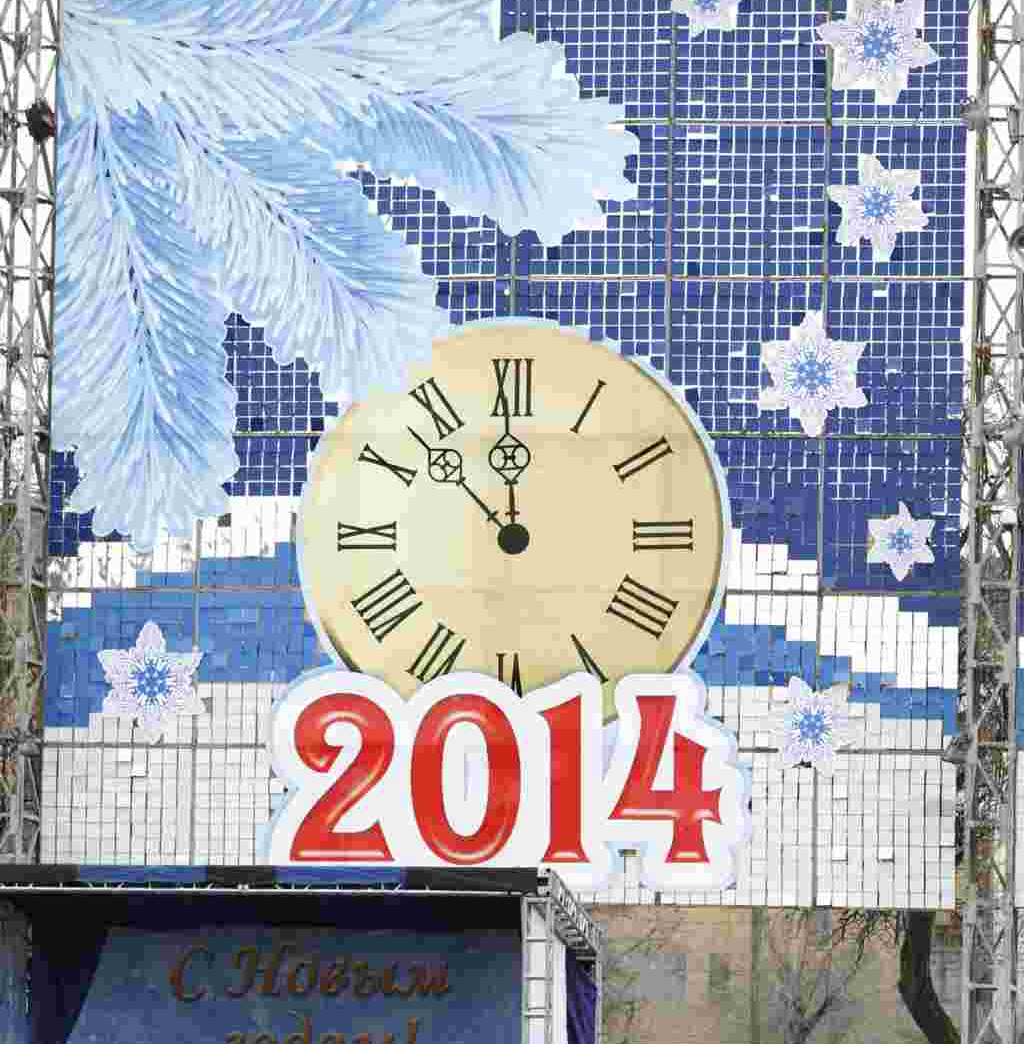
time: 11:52
